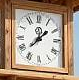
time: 1:37
